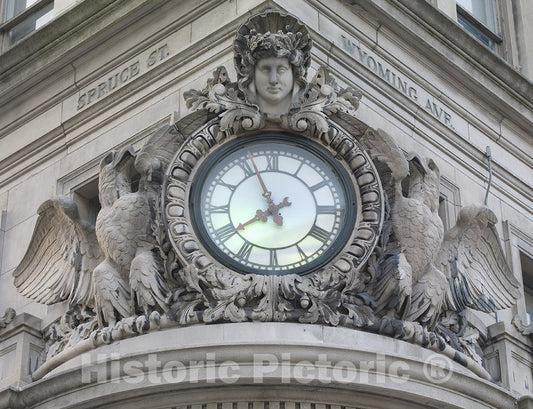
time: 7:56
